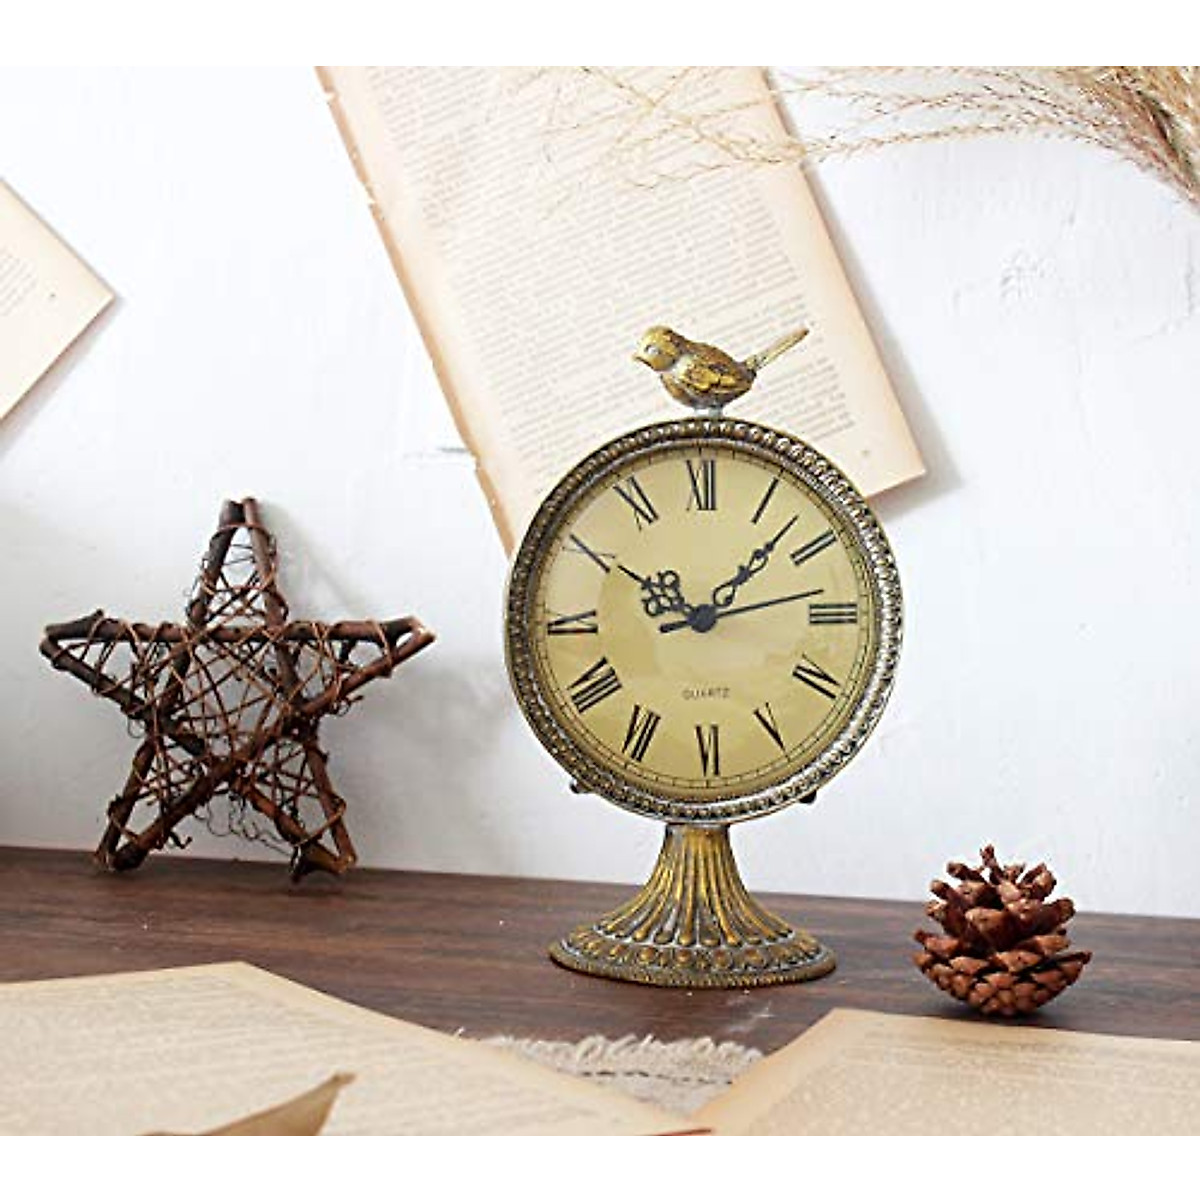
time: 10:07
